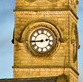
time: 8:43
